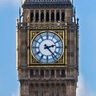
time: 2:23
